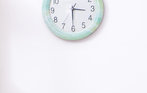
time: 3:30
